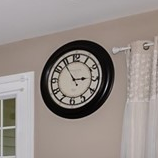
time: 2:54
